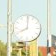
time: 8:00
